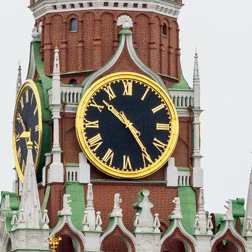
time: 10:24
